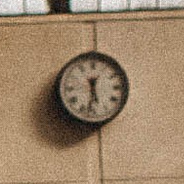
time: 5:32
